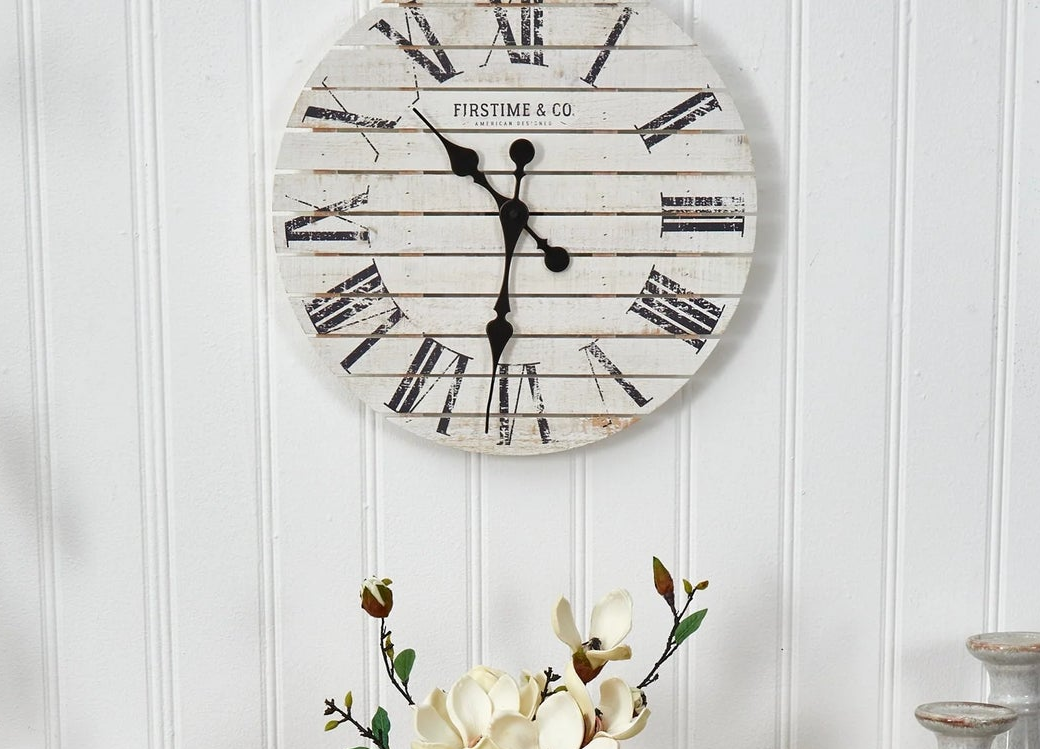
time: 10:31
